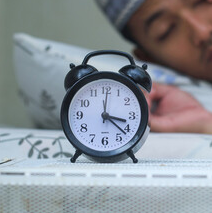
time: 3:21
